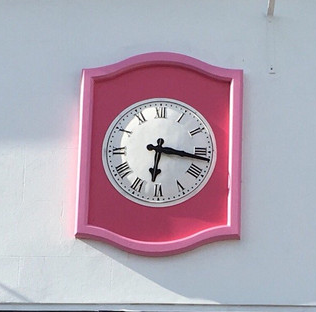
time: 6:16
